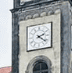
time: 2:21
